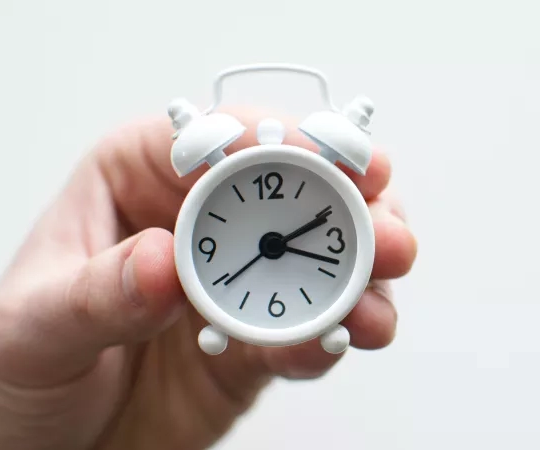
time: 2:18
